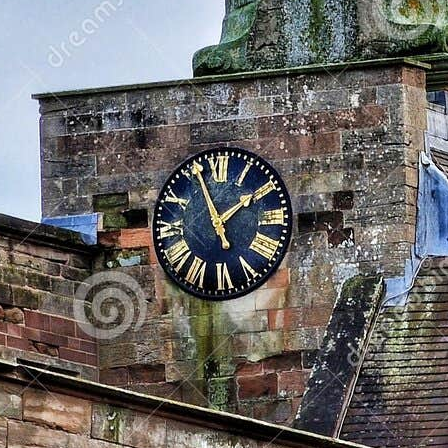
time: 1:56
